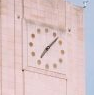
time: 7:07
